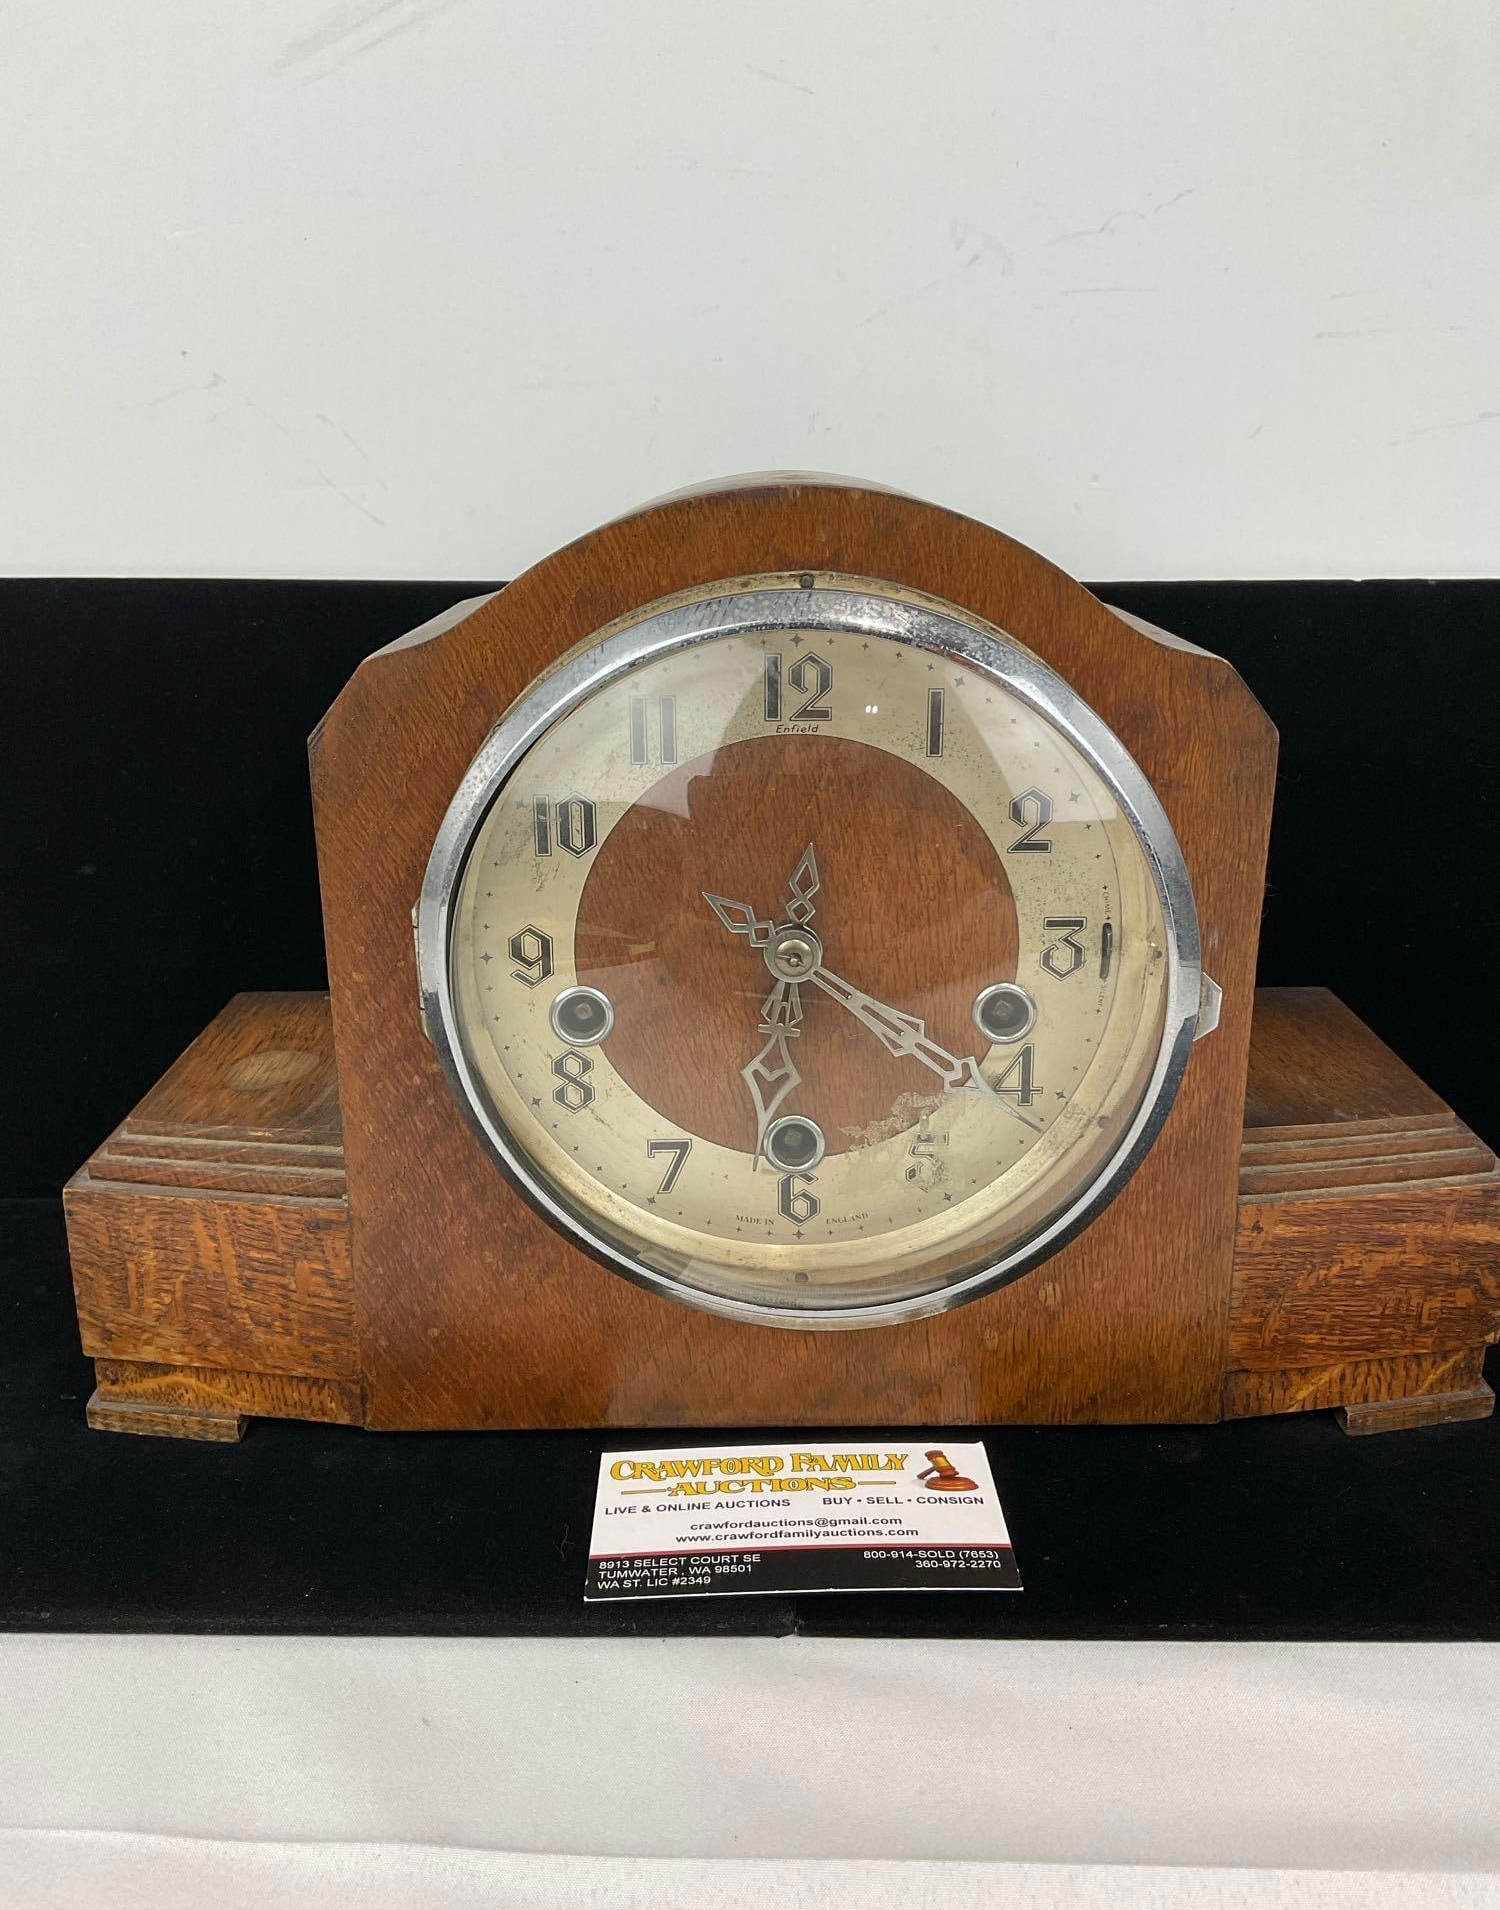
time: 6:21
